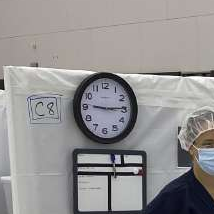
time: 9:14
